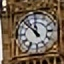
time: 11:52
